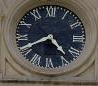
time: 4:40
